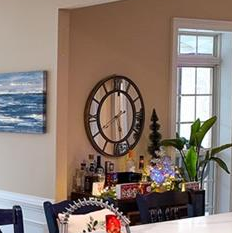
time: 5:40
